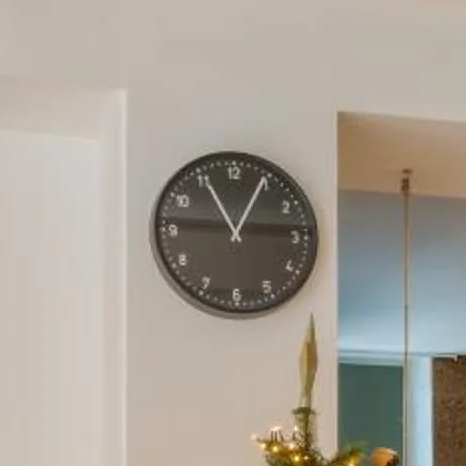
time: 11:04
